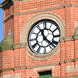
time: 11:22
